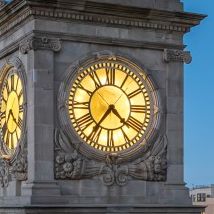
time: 4:35
